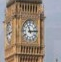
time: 11:13
